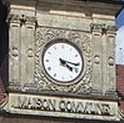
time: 4:16
